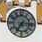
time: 7:15
